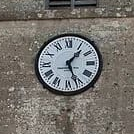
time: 1:26
